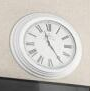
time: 11:24
